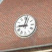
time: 9:01
